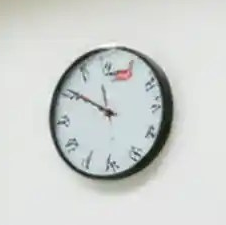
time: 11:50
